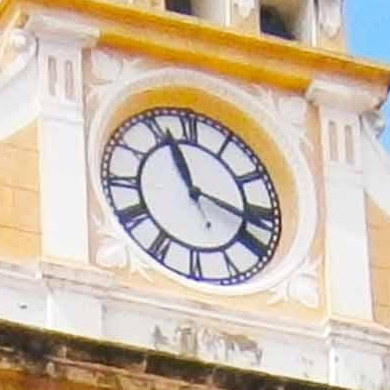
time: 11:17
